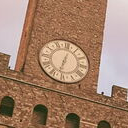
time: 12:32
